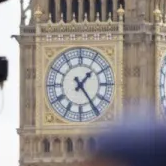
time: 1:24
